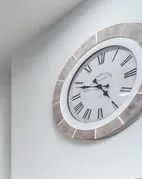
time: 4:48
